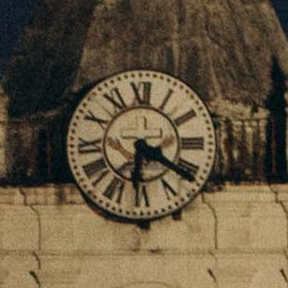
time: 6:20
